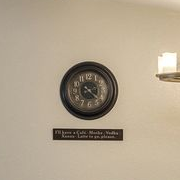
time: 4:22
